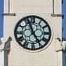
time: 4:56
